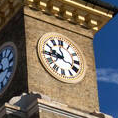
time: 9:44
